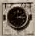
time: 12:14
